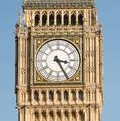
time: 3:25
